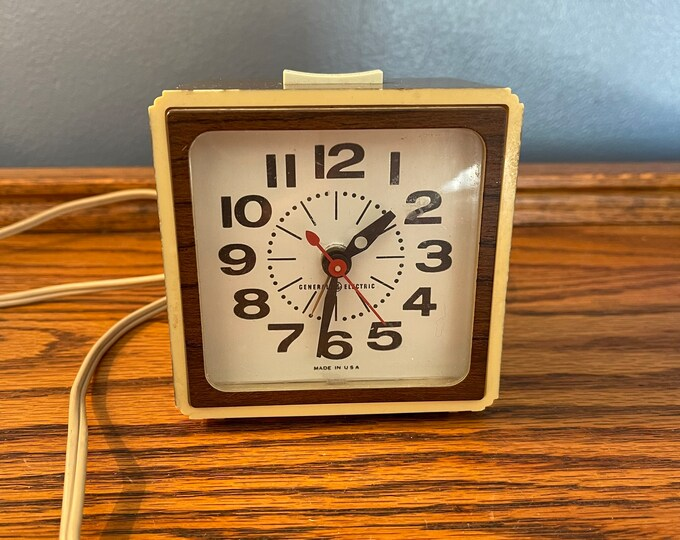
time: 1:31
